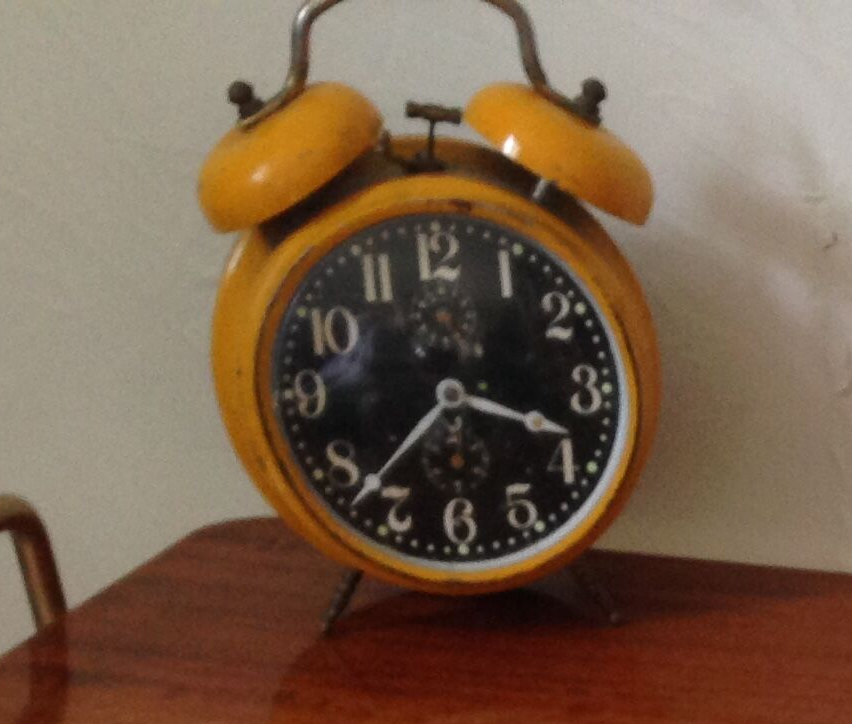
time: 3:37
